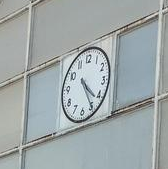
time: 4:24
